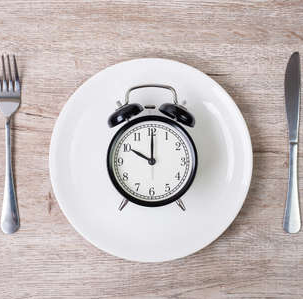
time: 10:00
